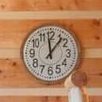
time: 12:06
